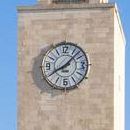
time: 8:07
